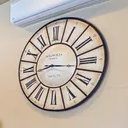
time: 8:16
